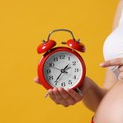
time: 1:36
